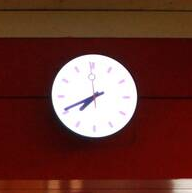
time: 7:40
